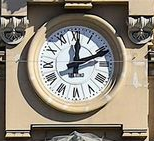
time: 12:11
